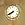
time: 7:40
